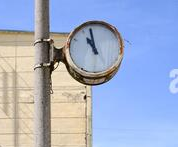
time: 10:58
